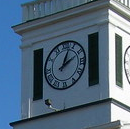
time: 2:03
